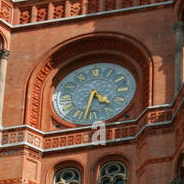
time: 4:32
